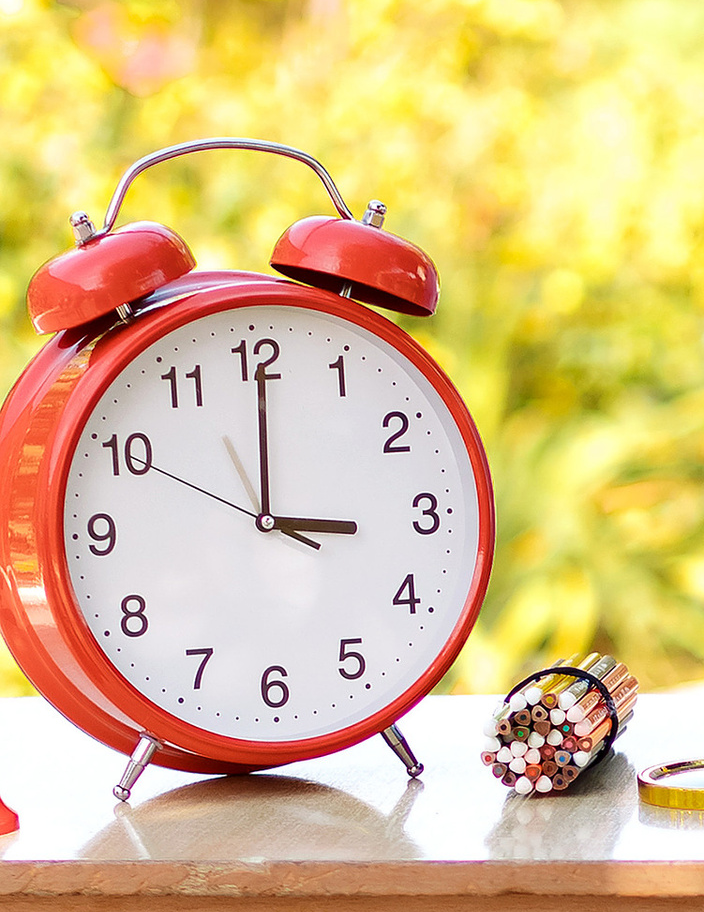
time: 3:00
